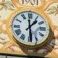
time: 1:28
